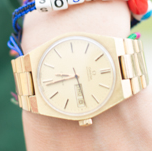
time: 9:28
